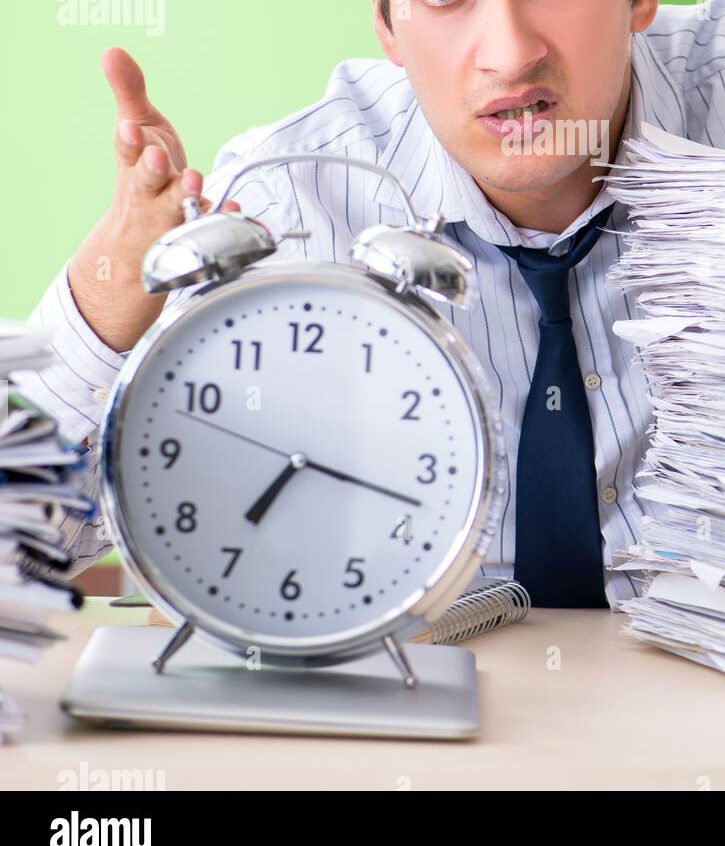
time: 7:17
